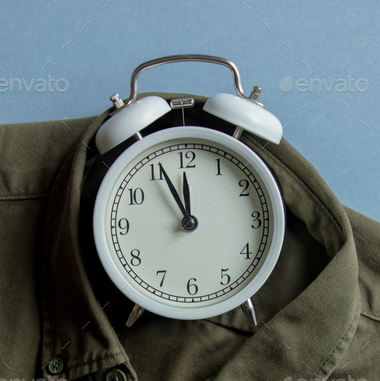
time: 11:55
